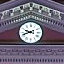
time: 9:41
